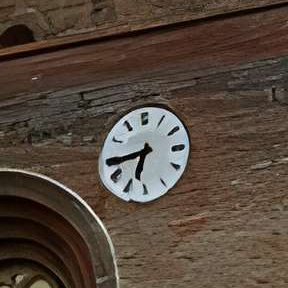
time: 6:43
